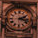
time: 2:18
